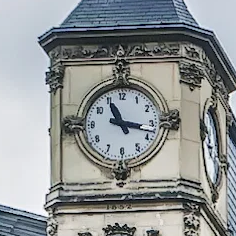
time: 11:17
